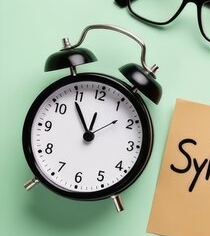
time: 11:53
